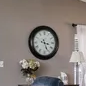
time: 3:26
